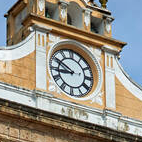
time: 8:50
